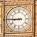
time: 8:45
